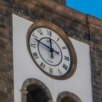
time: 11:48
